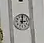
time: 3:01
